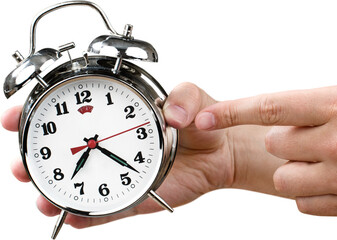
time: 7:22
